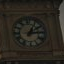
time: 1:13
